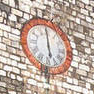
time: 5:59
